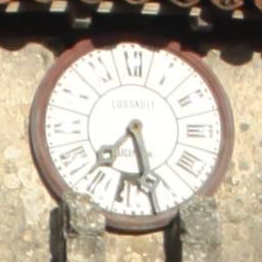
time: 7:27
